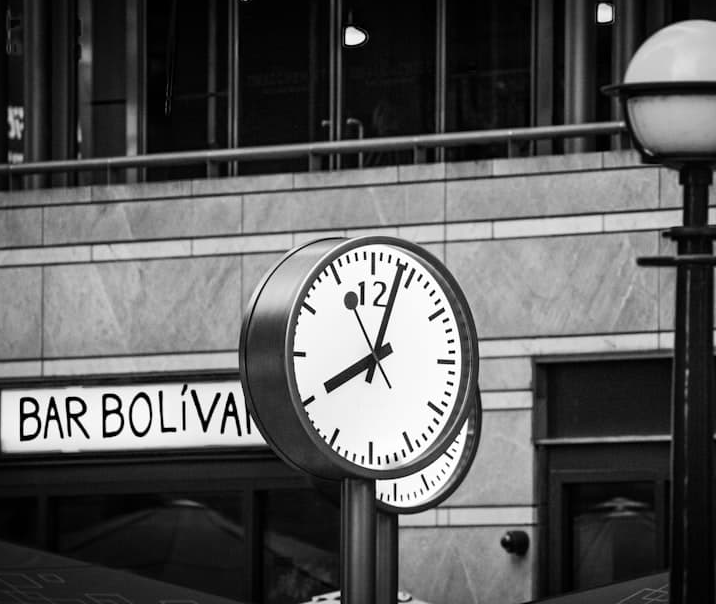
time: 8:03
